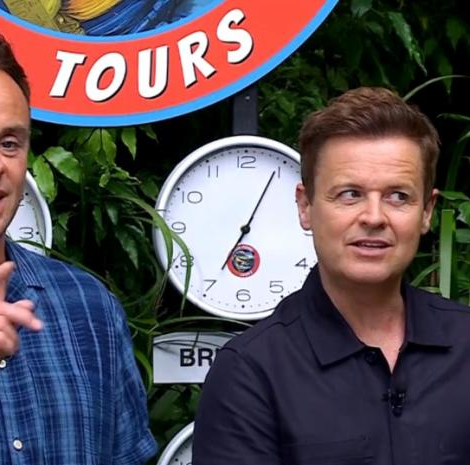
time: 7:04
